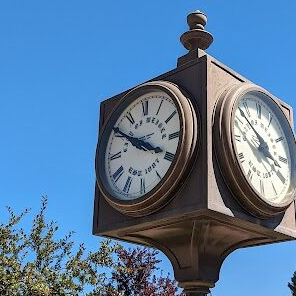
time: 3:50
